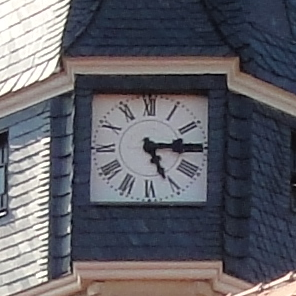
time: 5:14
